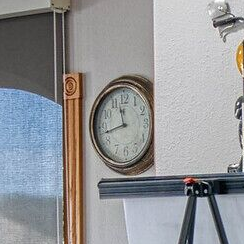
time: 11:42
